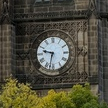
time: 9:32
